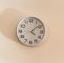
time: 4:08
